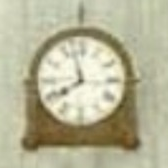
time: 7:57
